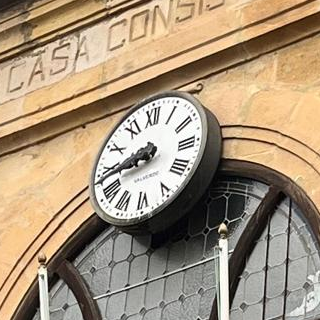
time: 8:44
